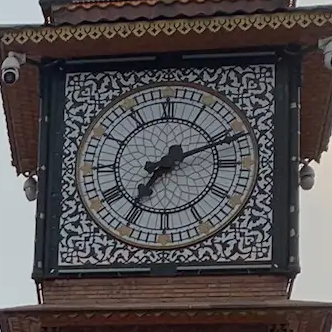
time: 7:11
